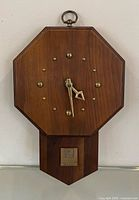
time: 4:28
